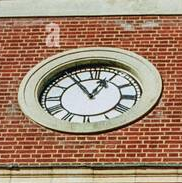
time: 12:54
